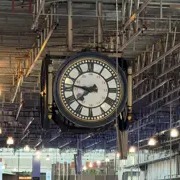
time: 7:46
